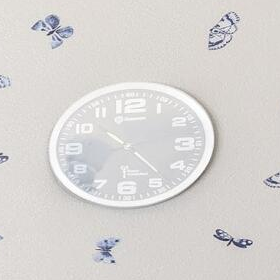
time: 10:23
